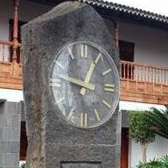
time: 12:47
